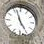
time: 4:57
